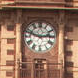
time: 2:48
